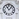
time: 11:07
